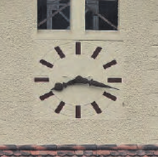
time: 8:17
